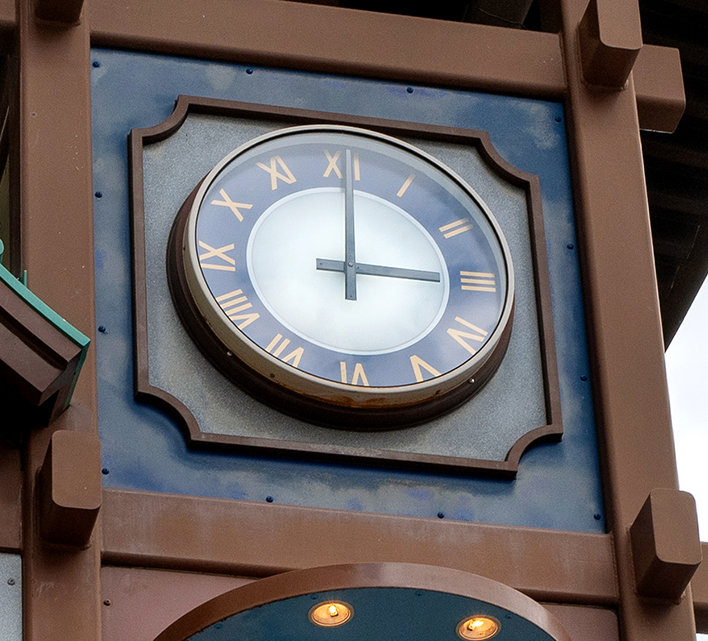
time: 3:00
